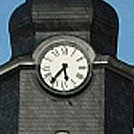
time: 5:36
